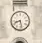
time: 8:27
